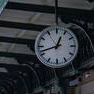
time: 12:42
